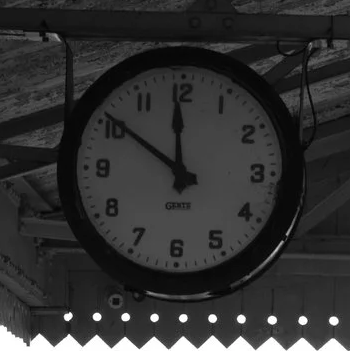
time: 11:50
